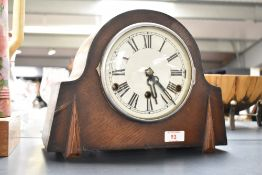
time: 5:22
